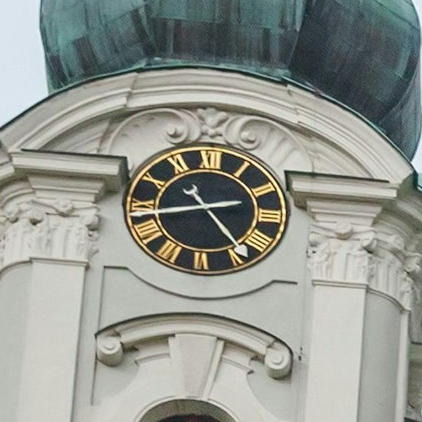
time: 4:42
